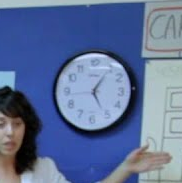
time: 5:05
